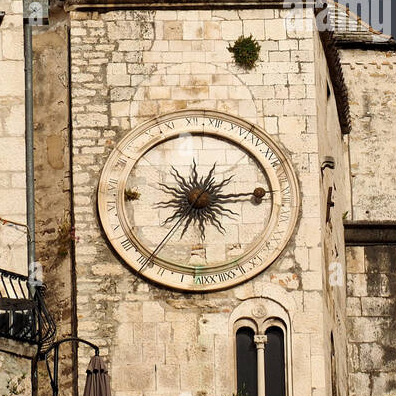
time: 1:13
